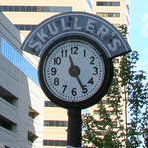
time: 11:25
